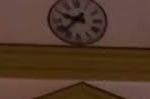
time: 9:37
